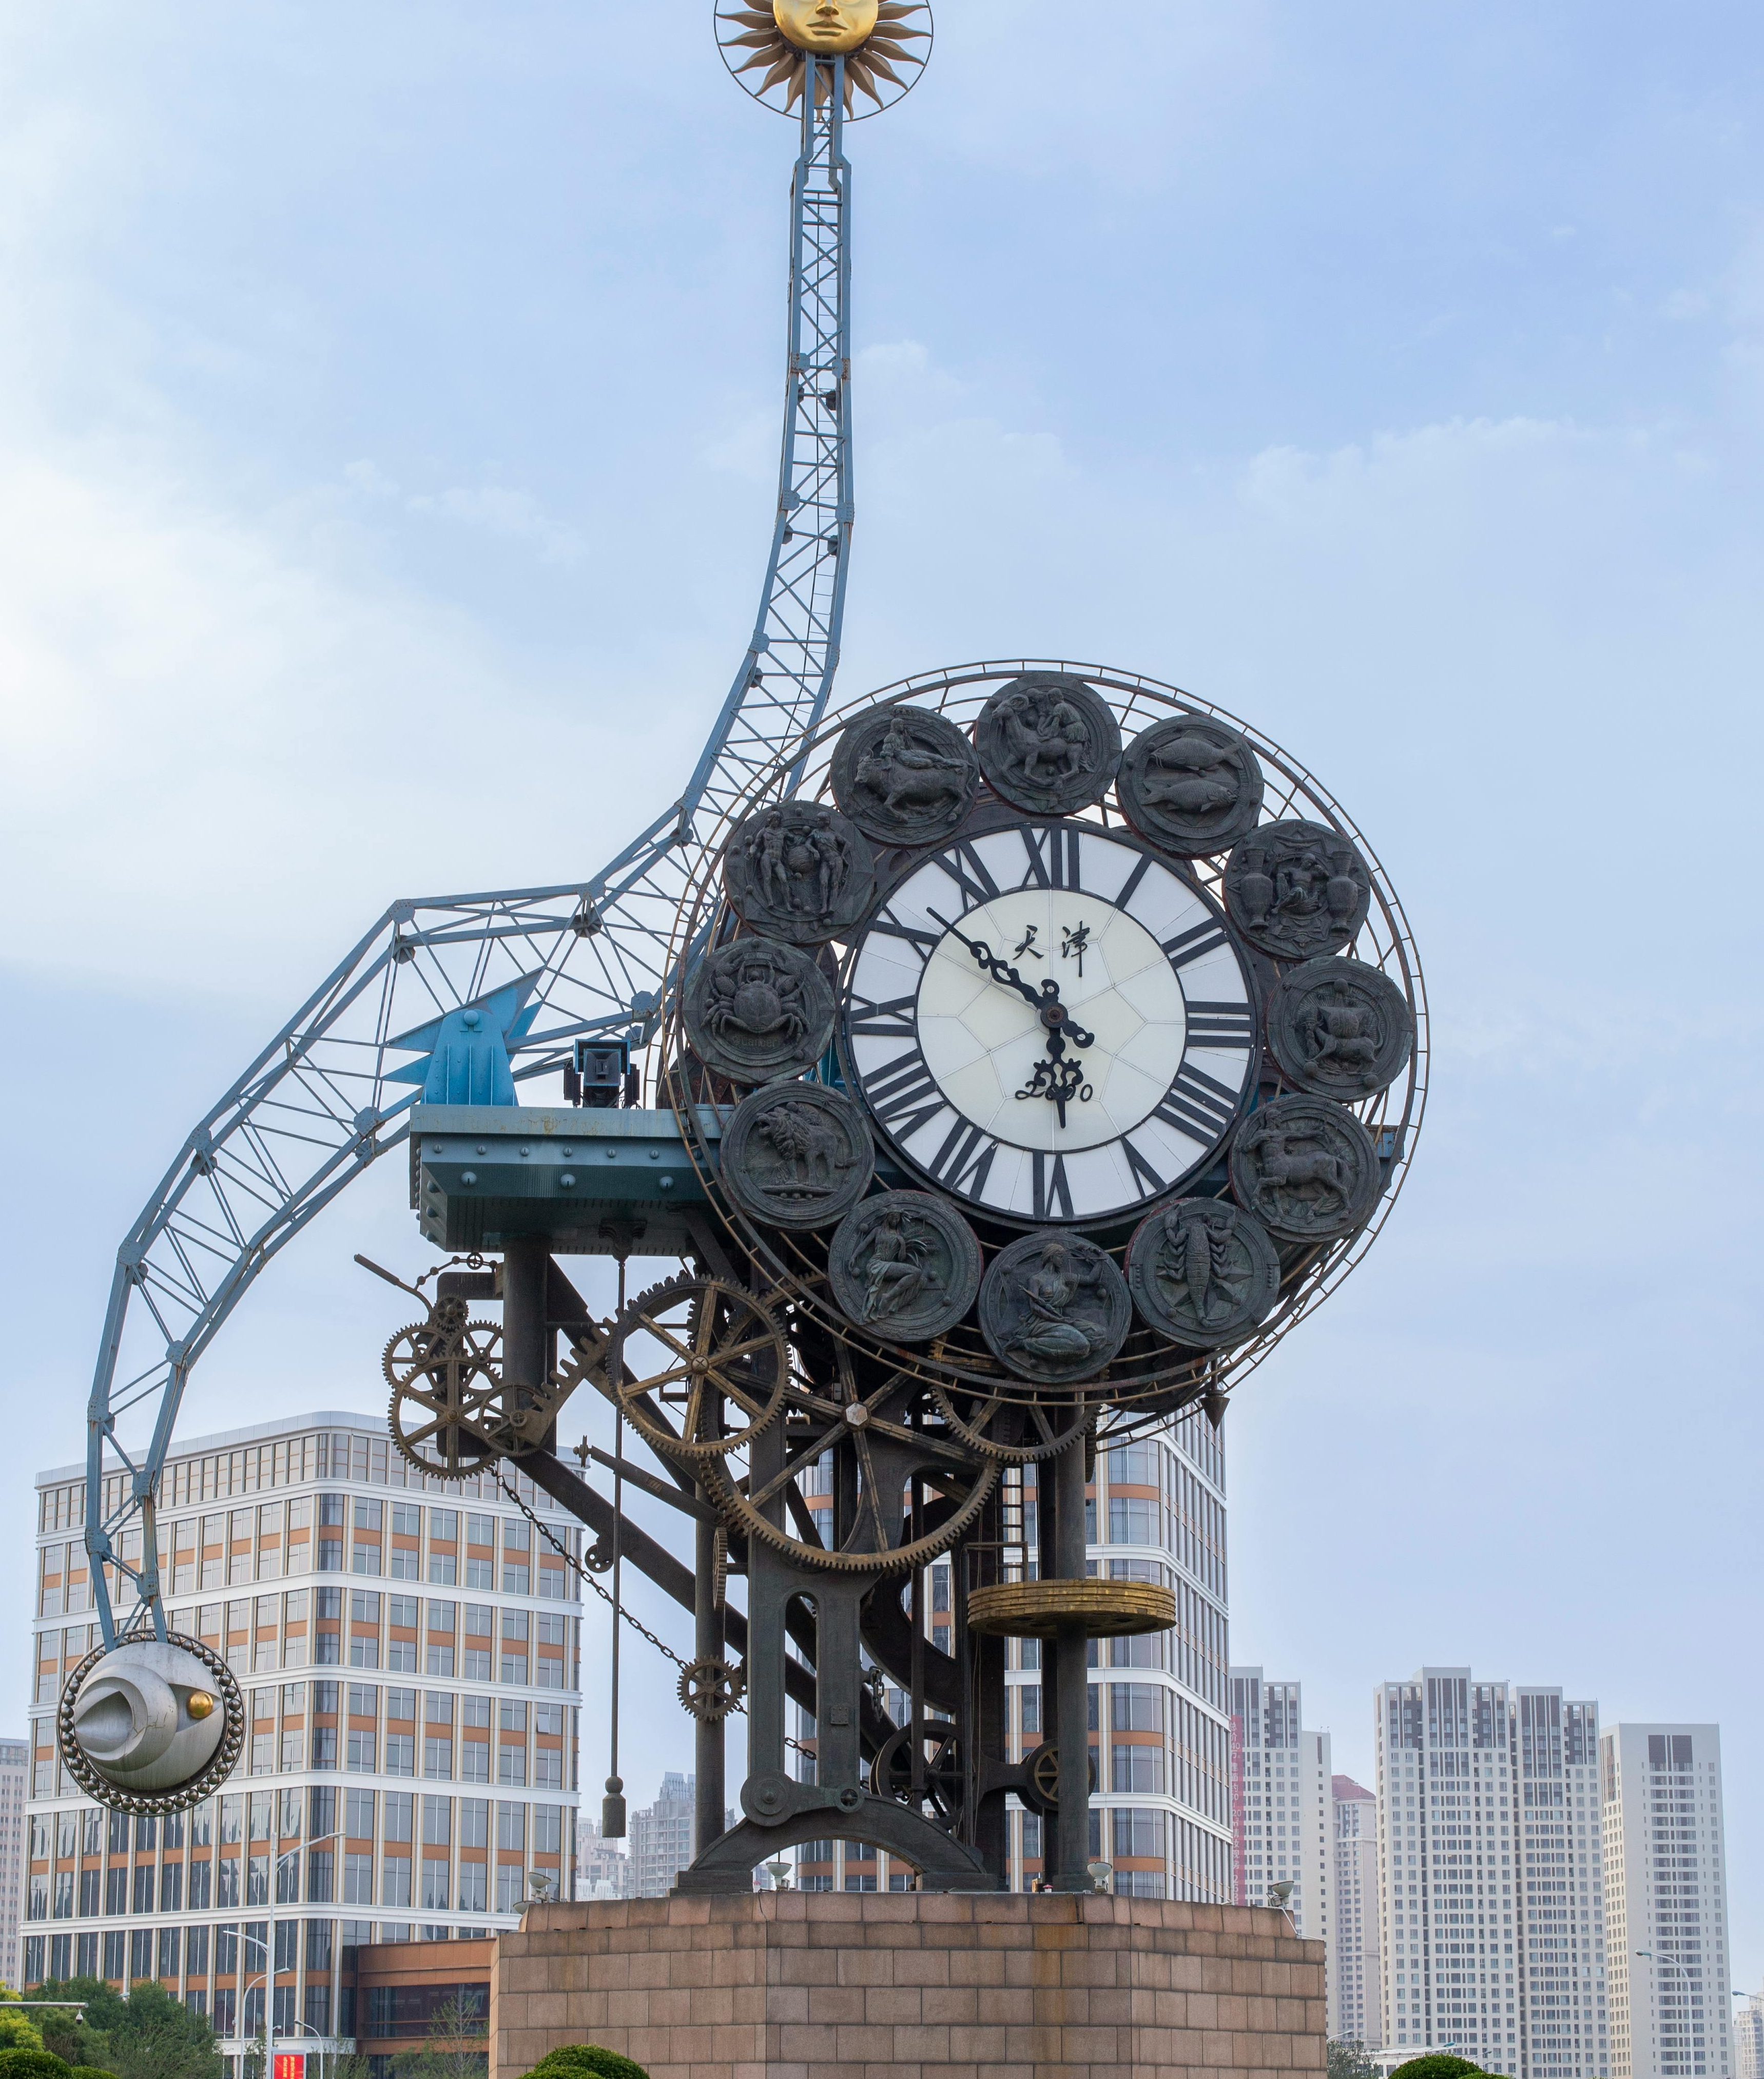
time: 5:51
